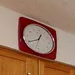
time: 12:40
